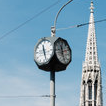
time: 11:25
